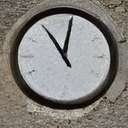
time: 11:02
